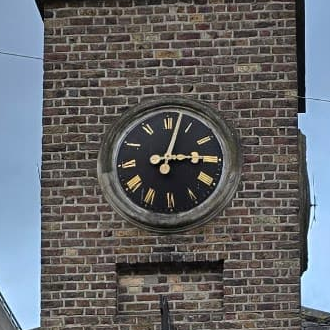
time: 3:02
